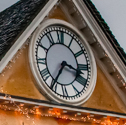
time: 3:35
